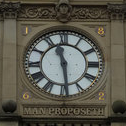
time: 11:28
